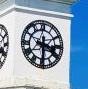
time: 3:29
